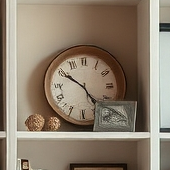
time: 4:50
